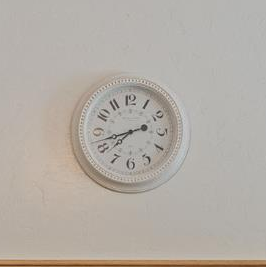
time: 7:42
